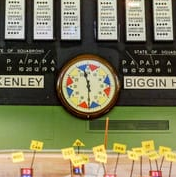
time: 11:29
